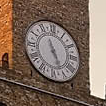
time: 11:26
